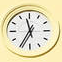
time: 11:35
